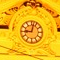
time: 9:02
